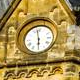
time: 5:58
